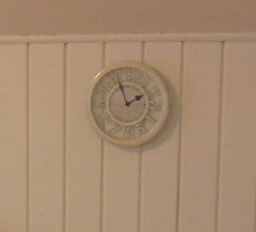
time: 1:56
